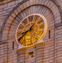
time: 8:38
